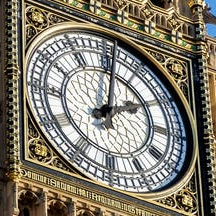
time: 2:01
